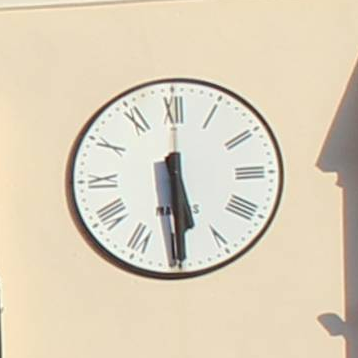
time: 5:29
